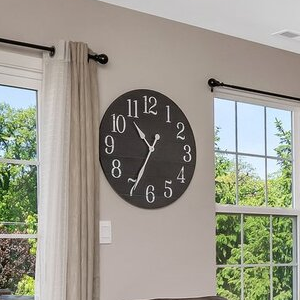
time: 10:34
